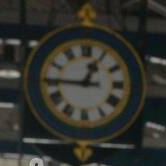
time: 12:45
